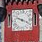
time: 3:48
